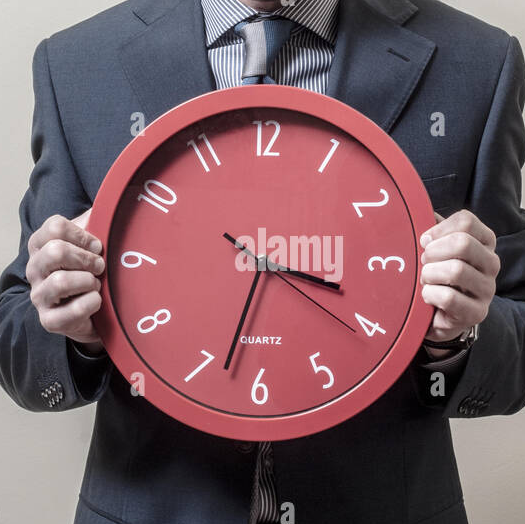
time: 3:32
